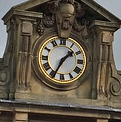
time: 1:34
